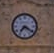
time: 7:20
